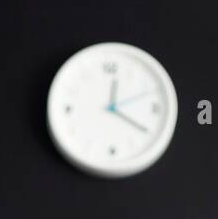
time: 12:20
